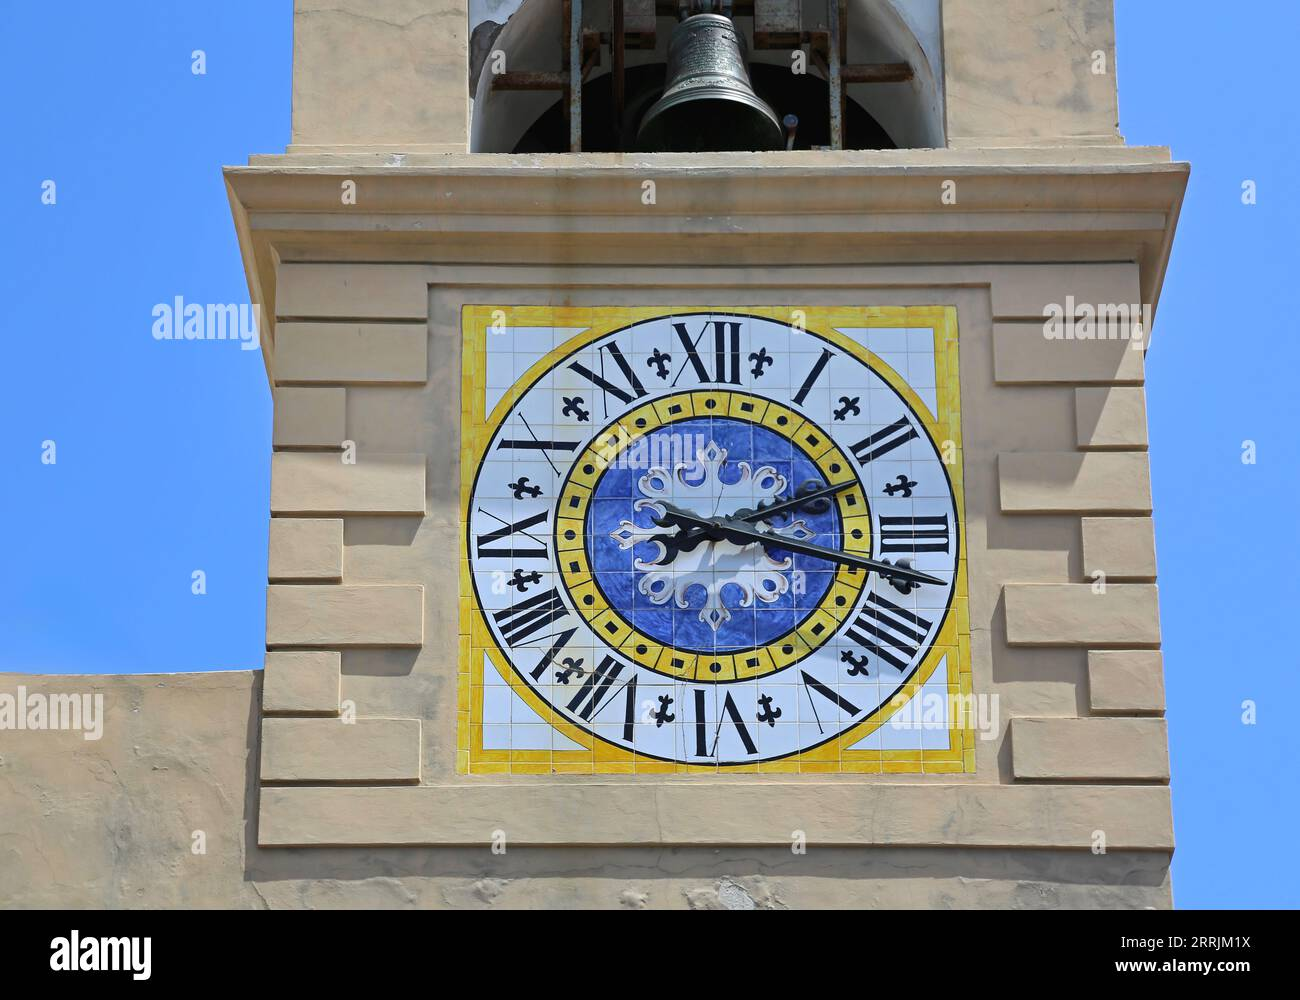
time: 2:16
